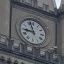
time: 8:57
